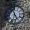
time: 4:57
